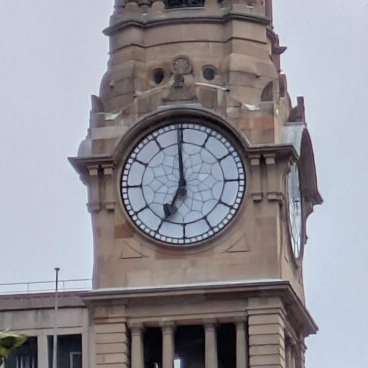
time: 6:59
